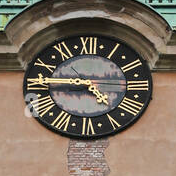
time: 4:44
